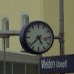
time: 4:37
